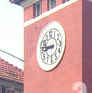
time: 8:46
